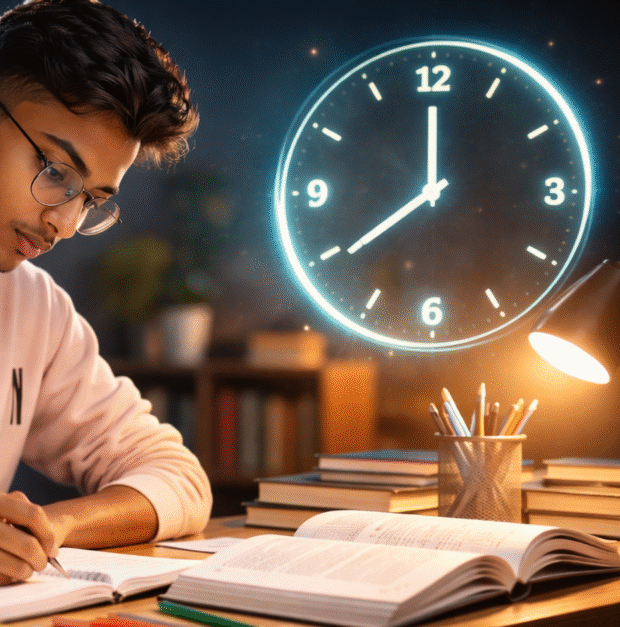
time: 11:39
